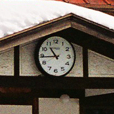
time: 10:44
